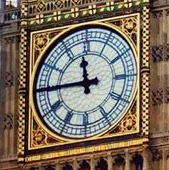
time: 11:44
